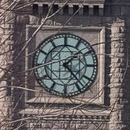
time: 1:23
